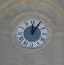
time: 12:05
